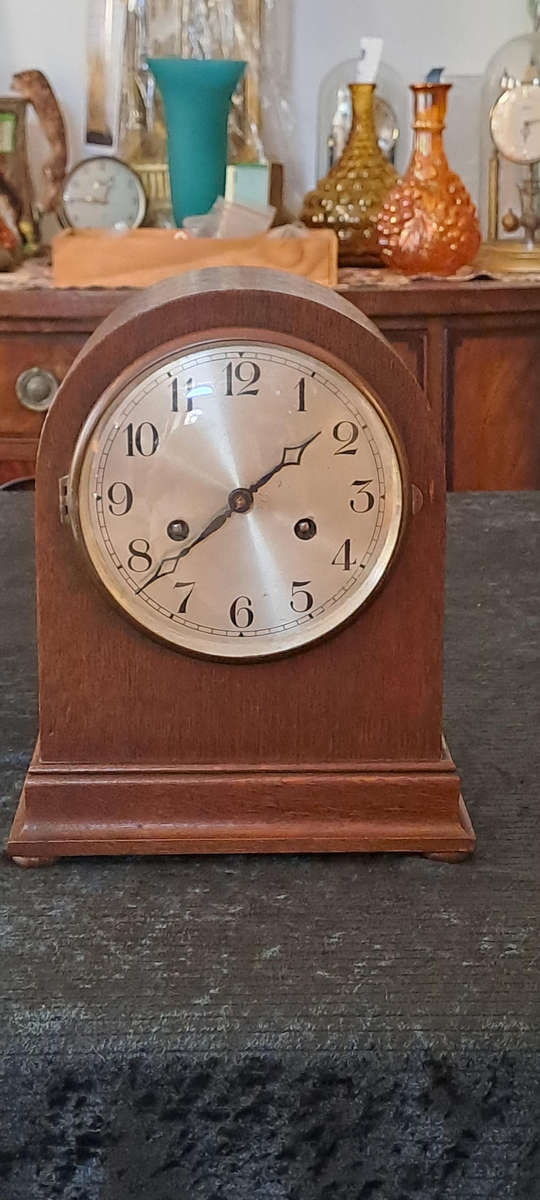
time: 1:38
